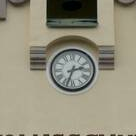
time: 2:33
